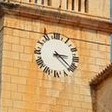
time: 3:22
